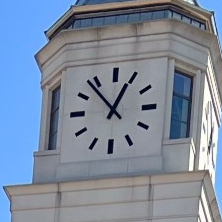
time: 12:53
